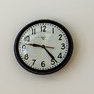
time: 9:23
